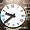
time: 9:38
